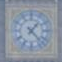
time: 1:22
